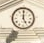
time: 5:00
